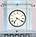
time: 7:19
